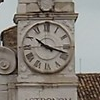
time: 10:17
